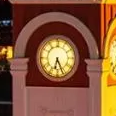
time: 6:26
